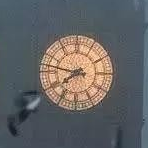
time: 7:46
